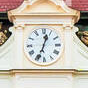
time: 12:33
